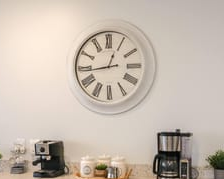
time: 12:43
